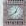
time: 12:38
